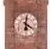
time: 4:01
